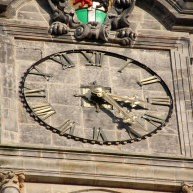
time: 3:24
